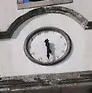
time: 5:30
